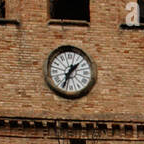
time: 1:34
